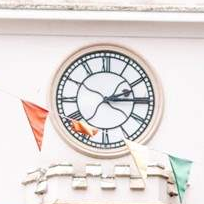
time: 2:14
